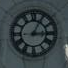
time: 3:04
